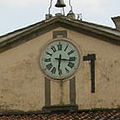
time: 6:16
